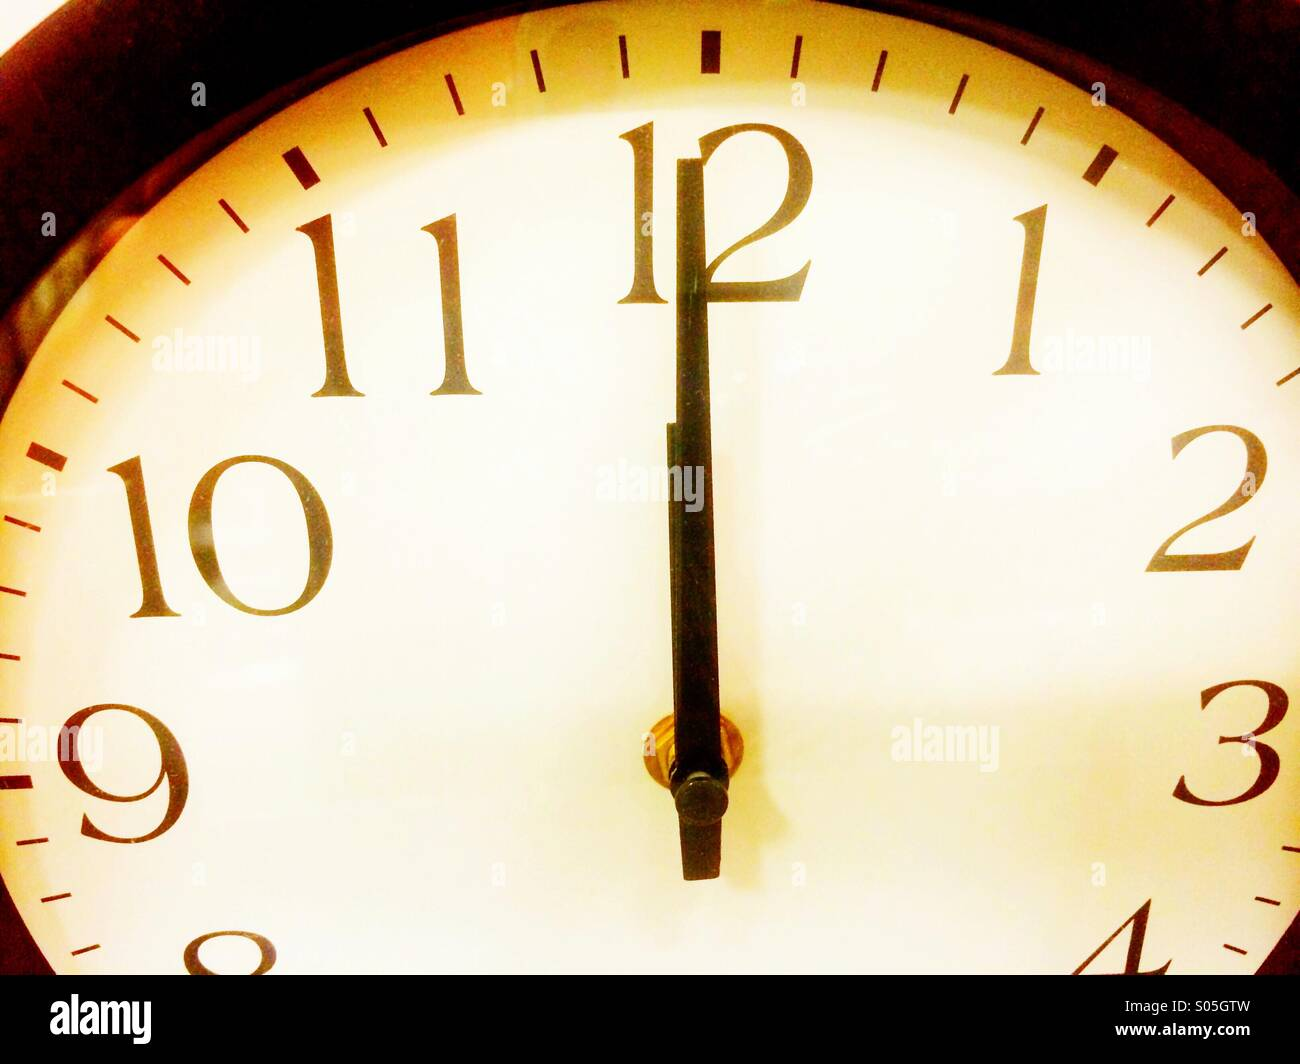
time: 11:59
